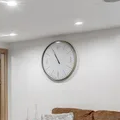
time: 10:55
